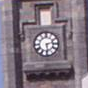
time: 2:29
